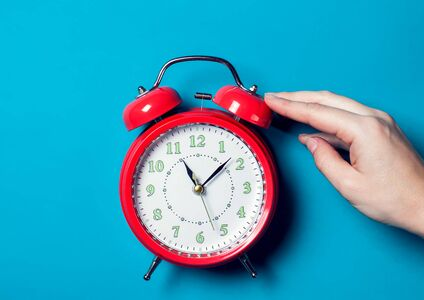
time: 11:07
